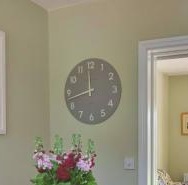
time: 11:42
